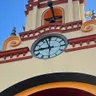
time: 8:57
